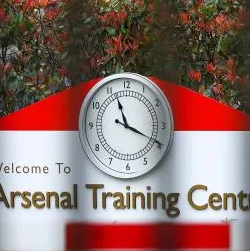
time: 11:19
